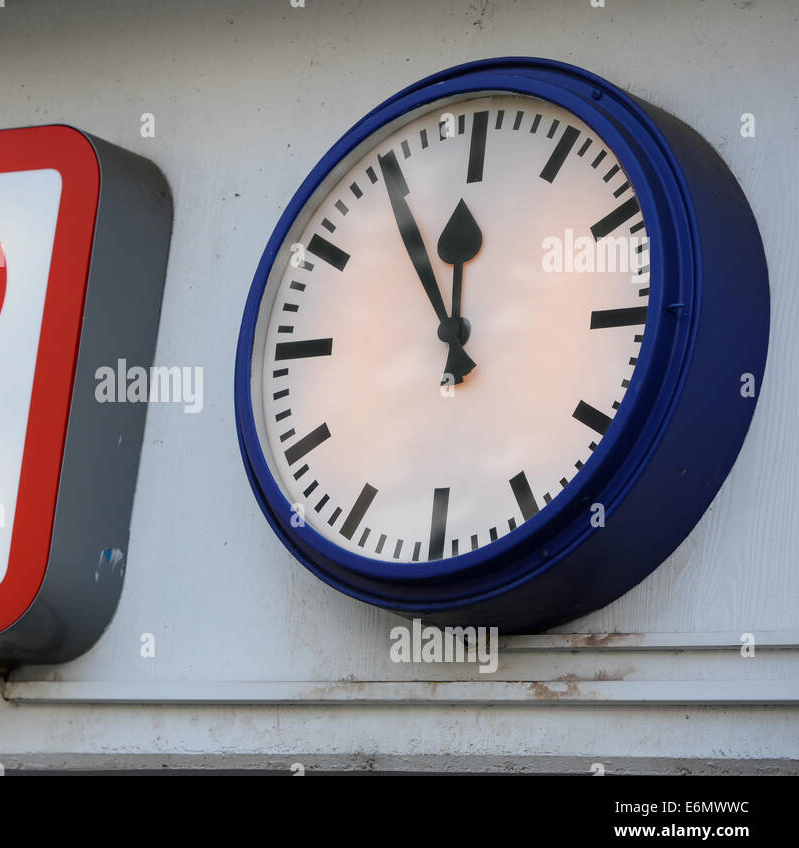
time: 11:54
